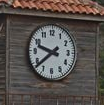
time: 9:38
